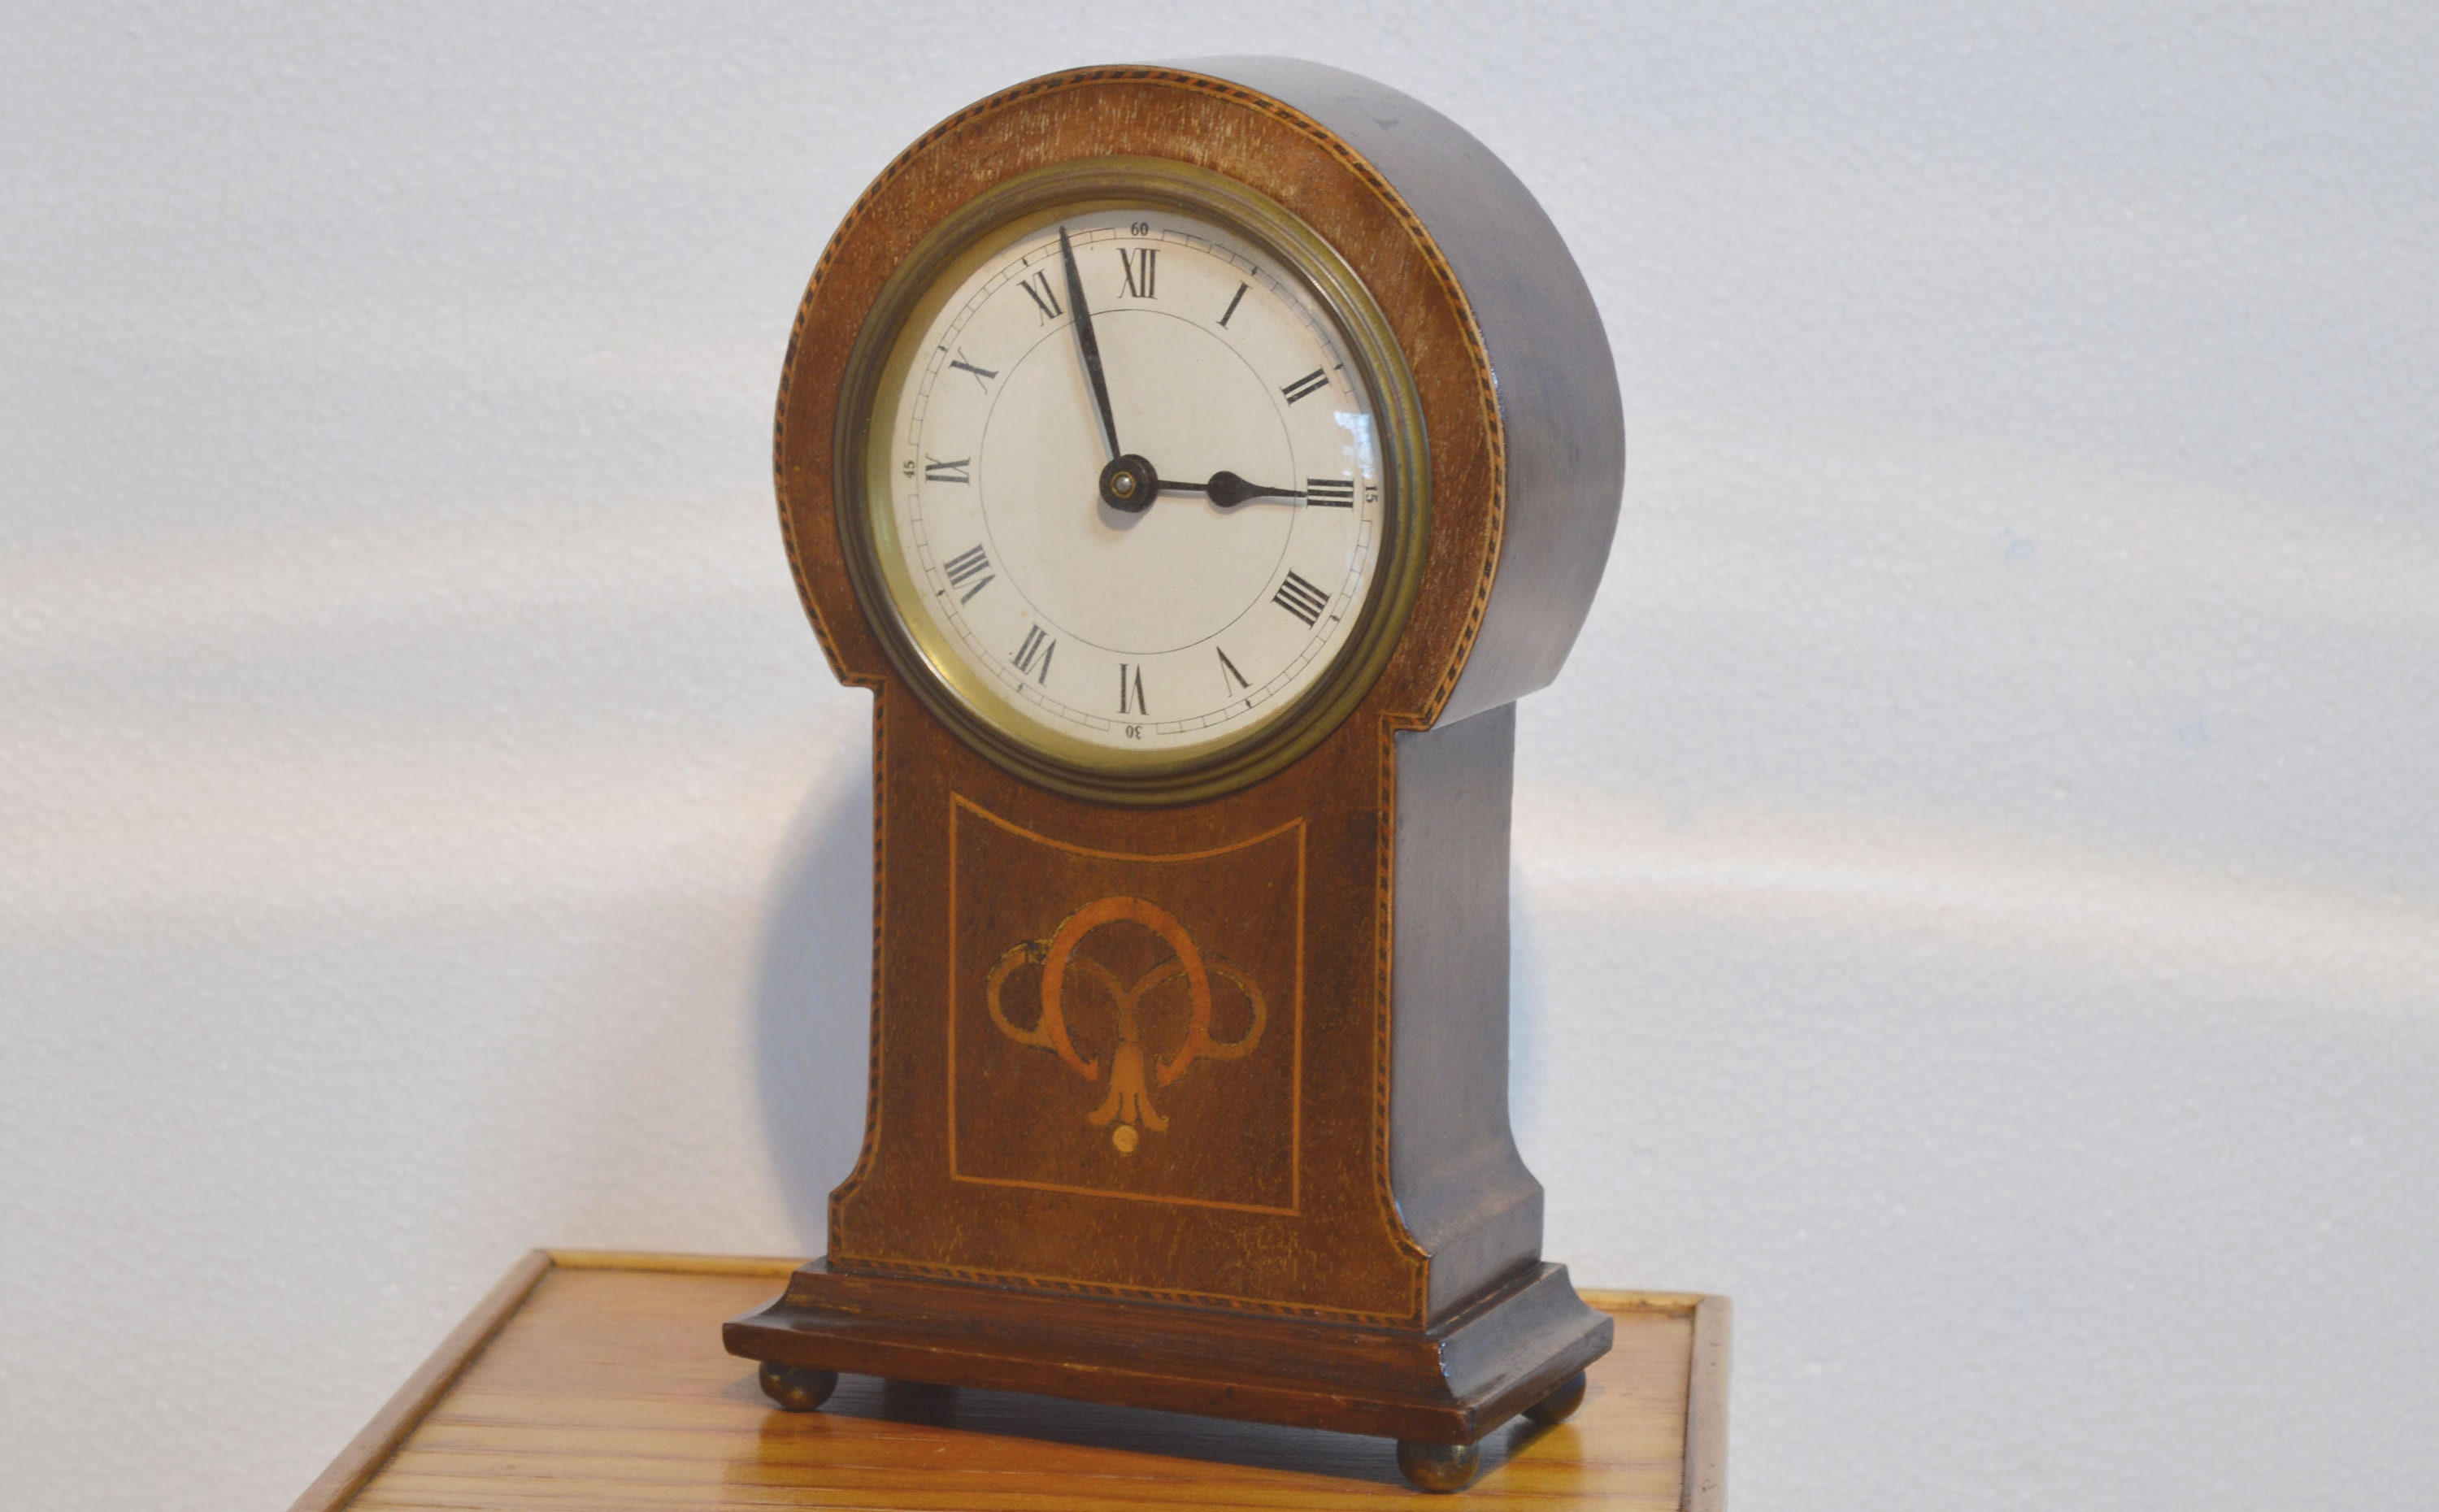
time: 2:56
